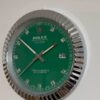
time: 1:51
